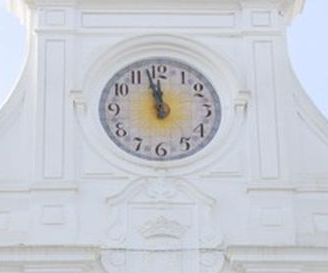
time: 11:57
